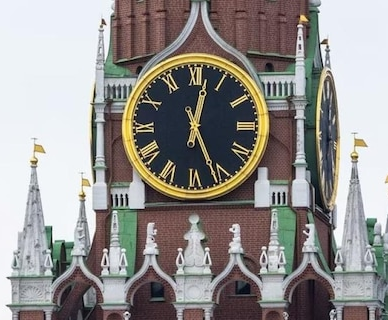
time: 12:26
